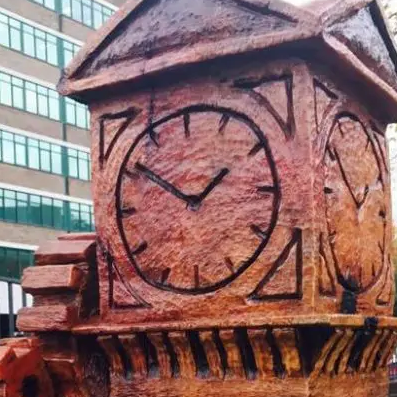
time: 1:51
